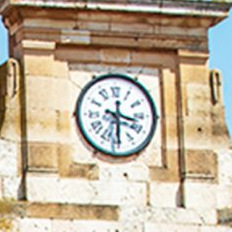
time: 3:29
